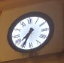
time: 7:34
